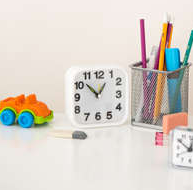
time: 12:52
